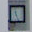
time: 11:25
